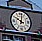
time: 10:01
